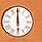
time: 5:59
